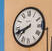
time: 7:41
